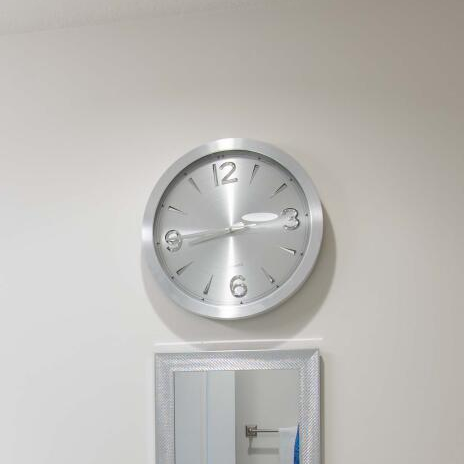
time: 3:01
